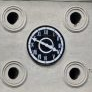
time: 3:48
